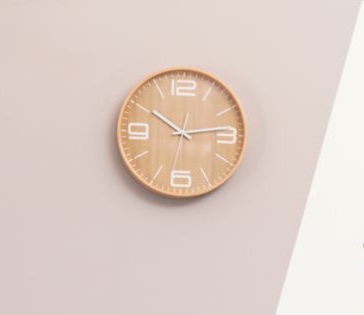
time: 10:13
